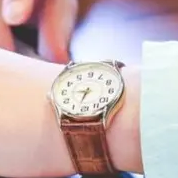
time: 8:32
